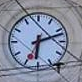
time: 6:12
